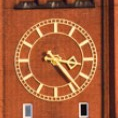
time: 3:23
